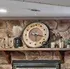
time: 3:28
